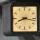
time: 8:16
